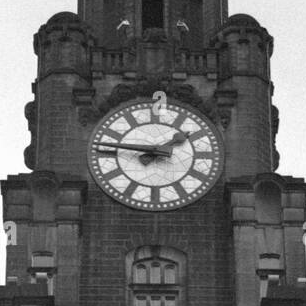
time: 1:46
